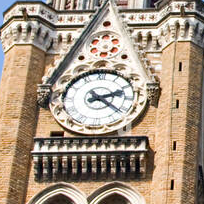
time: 2:21
